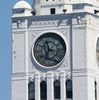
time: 6:56
